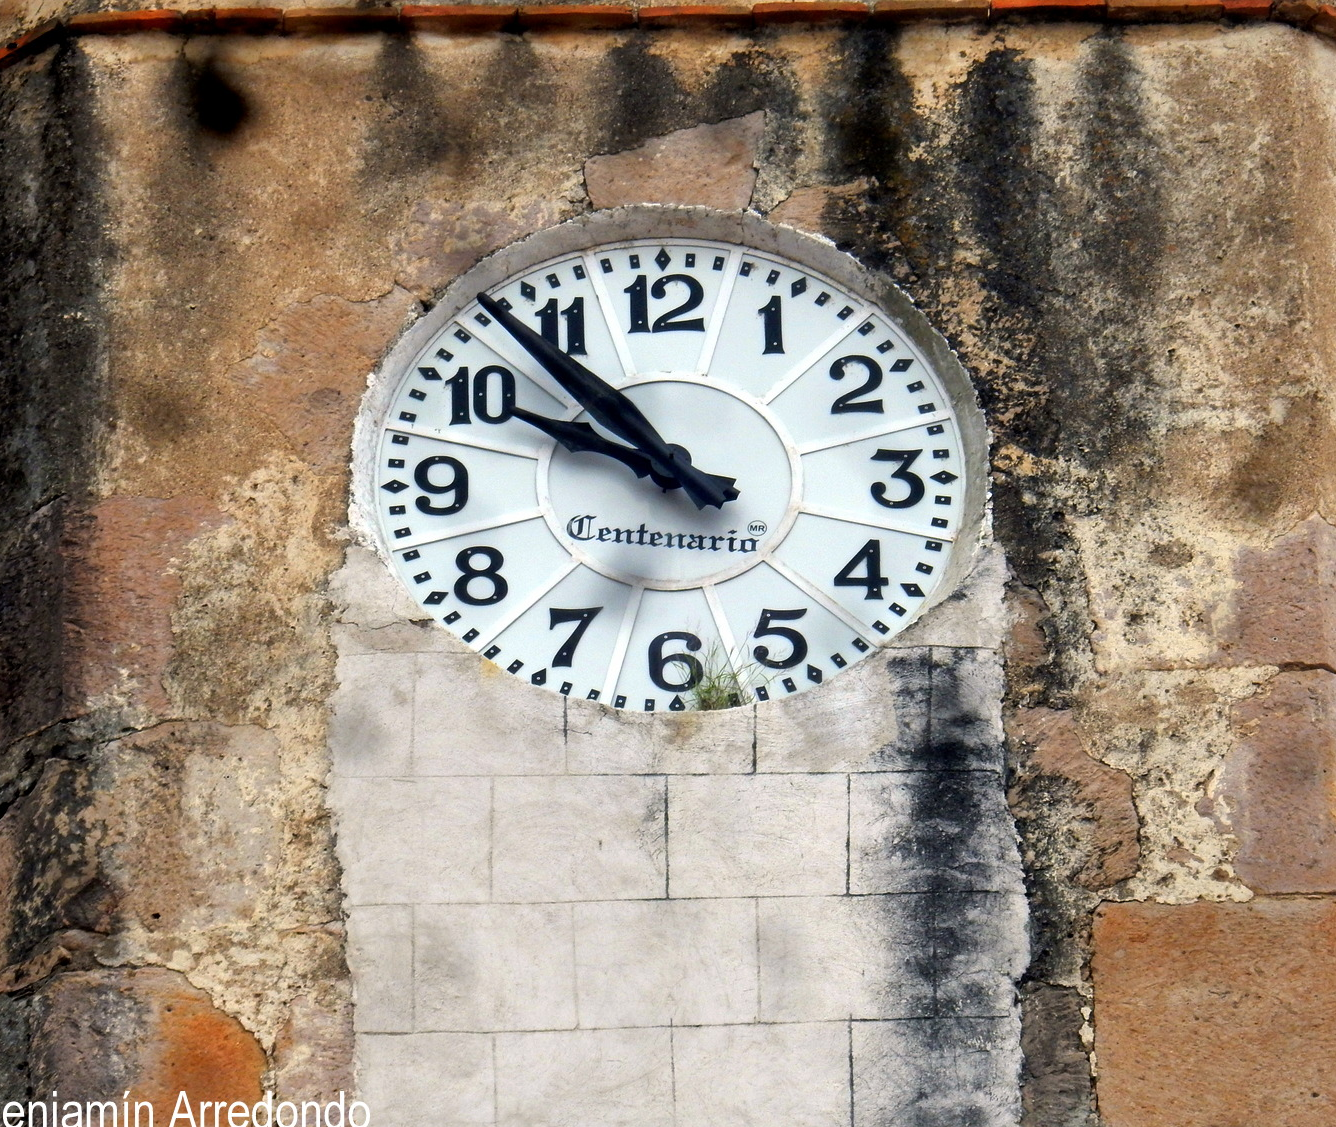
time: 9:53
